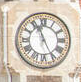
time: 11:25
